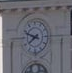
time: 7:48
